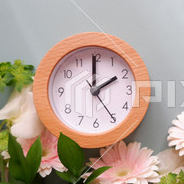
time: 1:59
